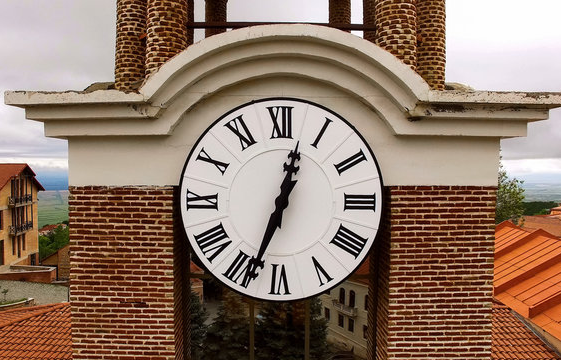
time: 12:33
